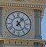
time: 1:24
